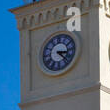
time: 3:22
